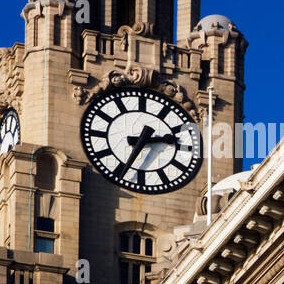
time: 2:34
